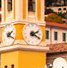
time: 2:19
